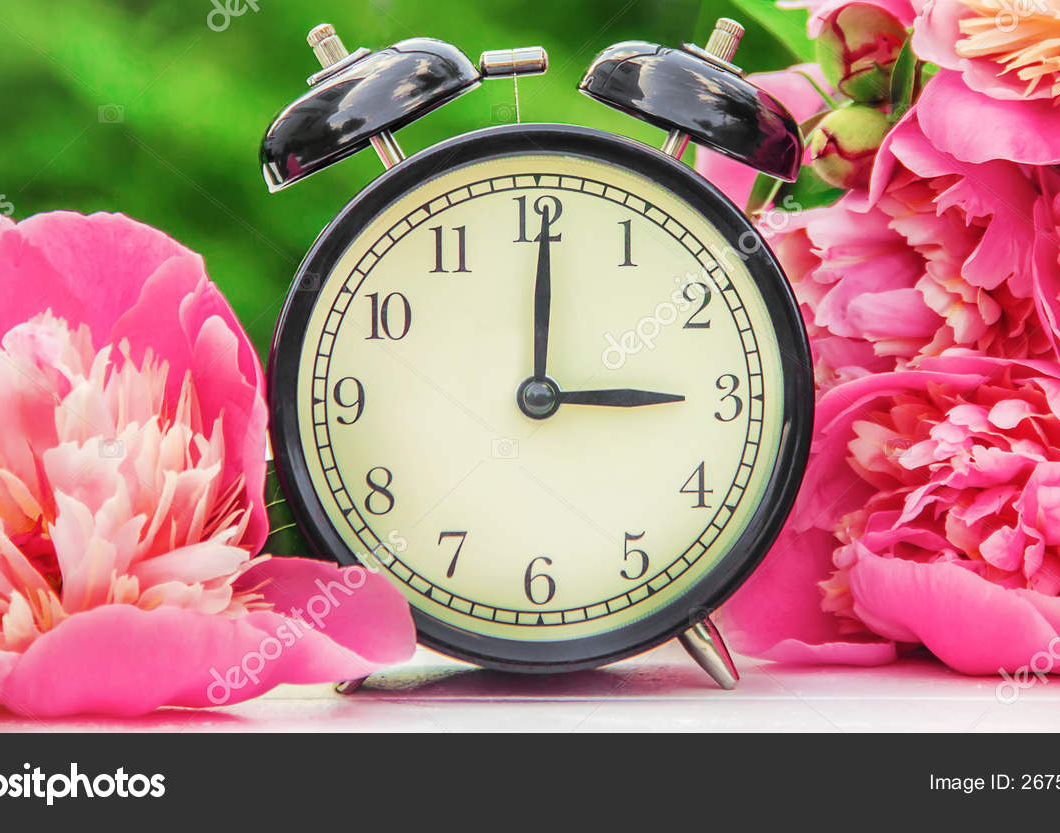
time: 3:00
